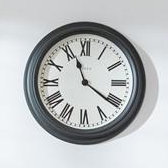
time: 11:21
